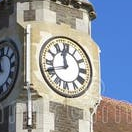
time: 11:41
